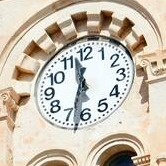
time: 11:32
